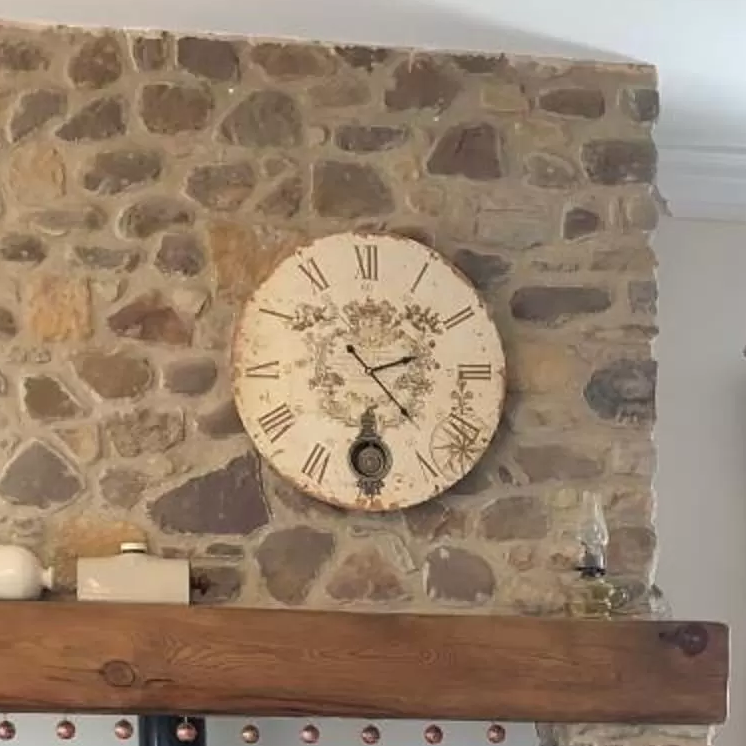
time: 2:22
